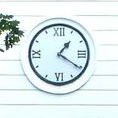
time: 1:20
